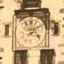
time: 4:09
